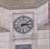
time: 3:09
